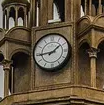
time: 1:44
